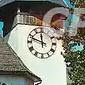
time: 11:48
